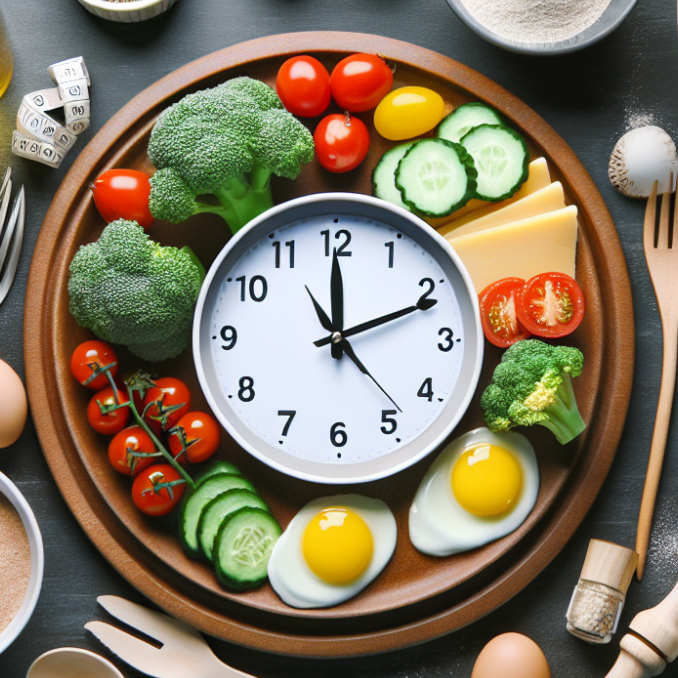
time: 12:11
